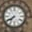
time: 7:40
